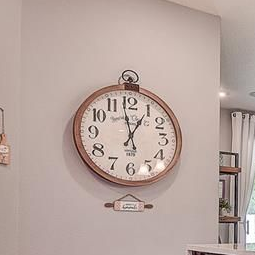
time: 12:58
